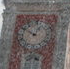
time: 12:50
